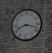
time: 8:17
